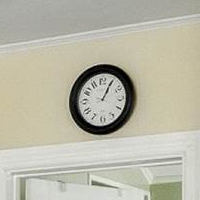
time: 1:04
